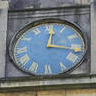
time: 12:16
